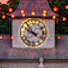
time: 9:53
